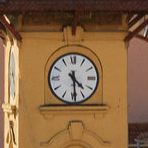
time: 4:29
